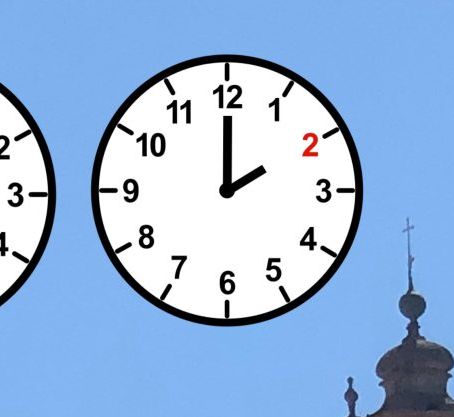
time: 2:00
